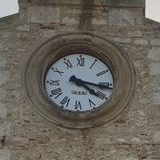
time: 4:16
